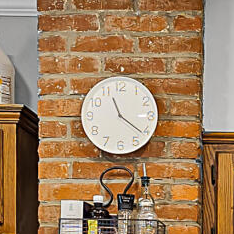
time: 11:21
